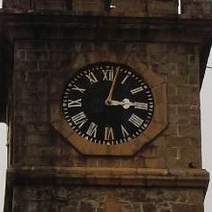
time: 3:02
